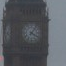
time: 4:06
